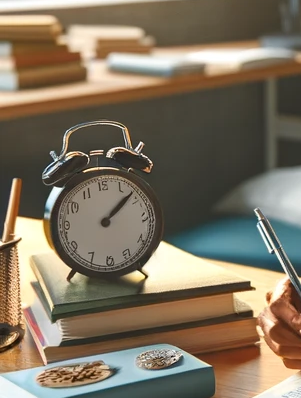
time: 1:08
